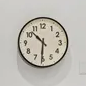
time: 10:30
